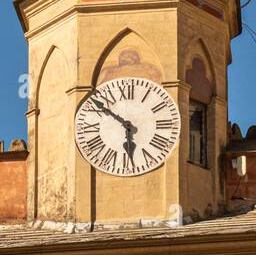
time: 5:51
